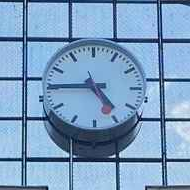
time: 4:45
